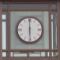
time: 5:59
